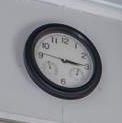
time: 3:14
